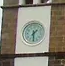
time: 1:29
